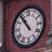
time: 10:53
